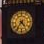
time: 4:36
